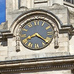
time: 8:21
